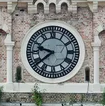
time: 9:38
